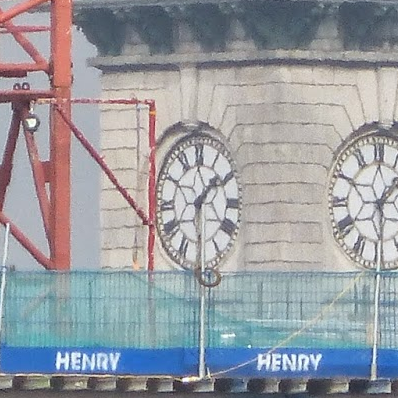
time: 1:30
